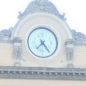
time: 7:23
